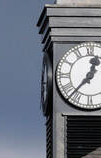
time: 12:37
